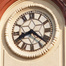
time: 8:21
